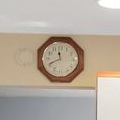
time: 11:40
